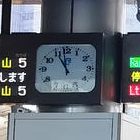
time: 10:58
